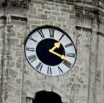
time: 1:18
